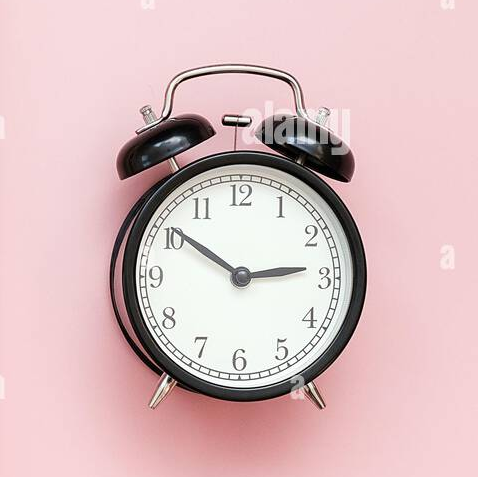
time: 2:50
